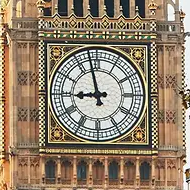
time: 8:57
